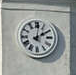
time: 2:01
